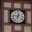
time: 12:46
